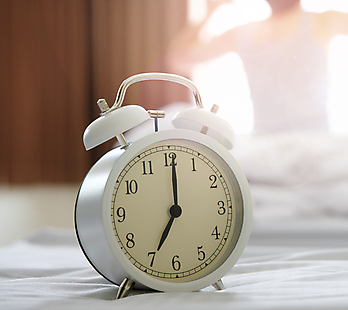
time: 7:00
